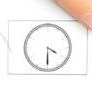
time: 4:30
